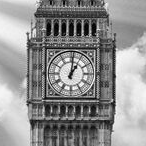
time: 1:01
